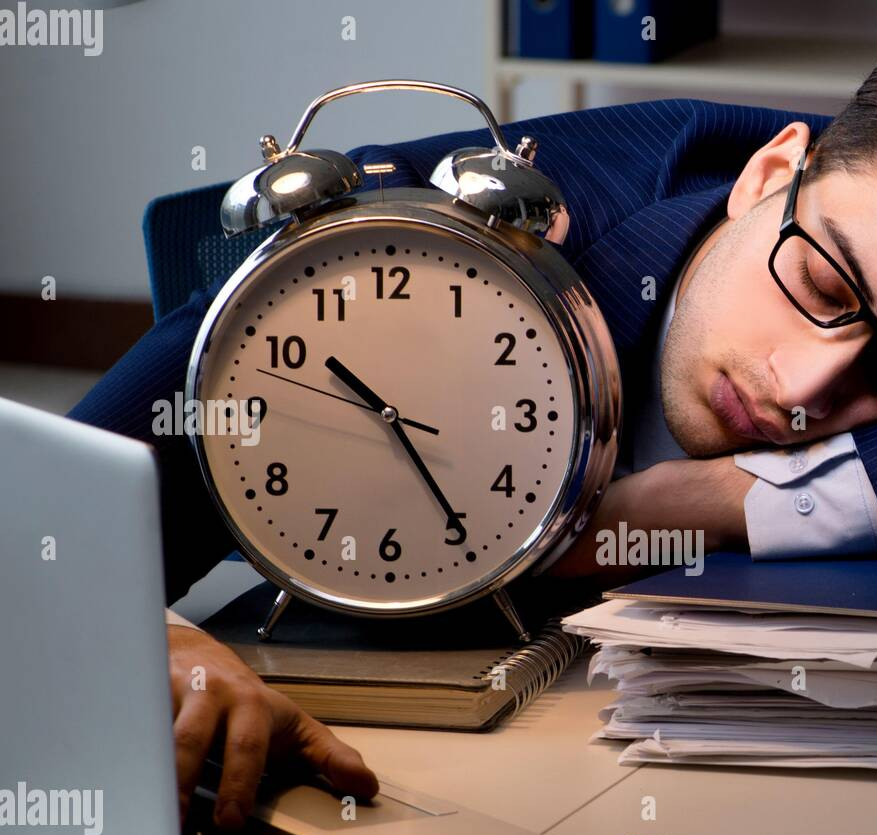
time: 10:24
